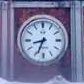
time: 8:33
